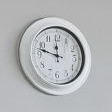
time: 11:47
